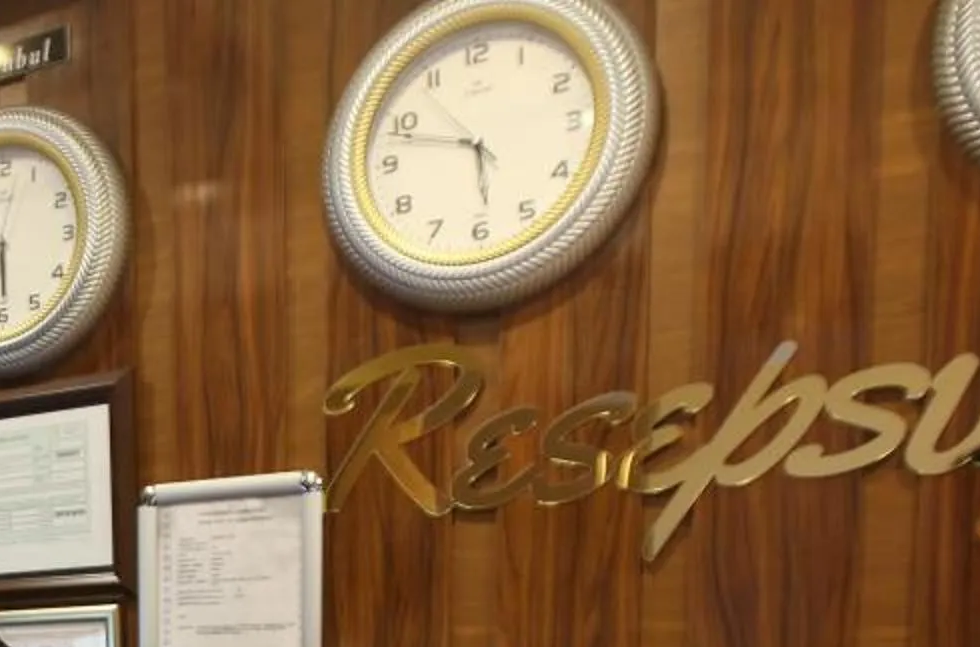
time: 5:47
